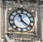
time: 11:21
